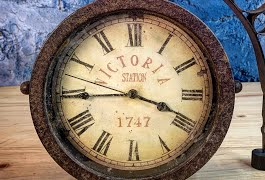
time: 3:44
